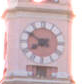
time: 7:50
